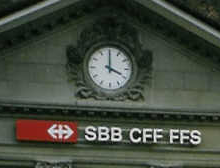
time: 4:00
